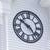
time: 4:50
